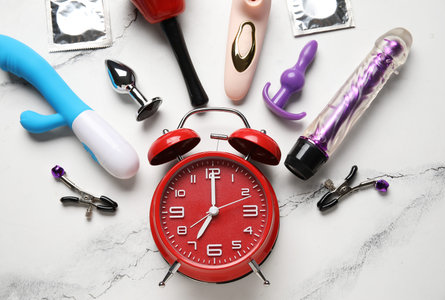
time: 7:00
